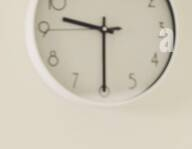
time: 9:30
